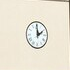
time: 1:59
